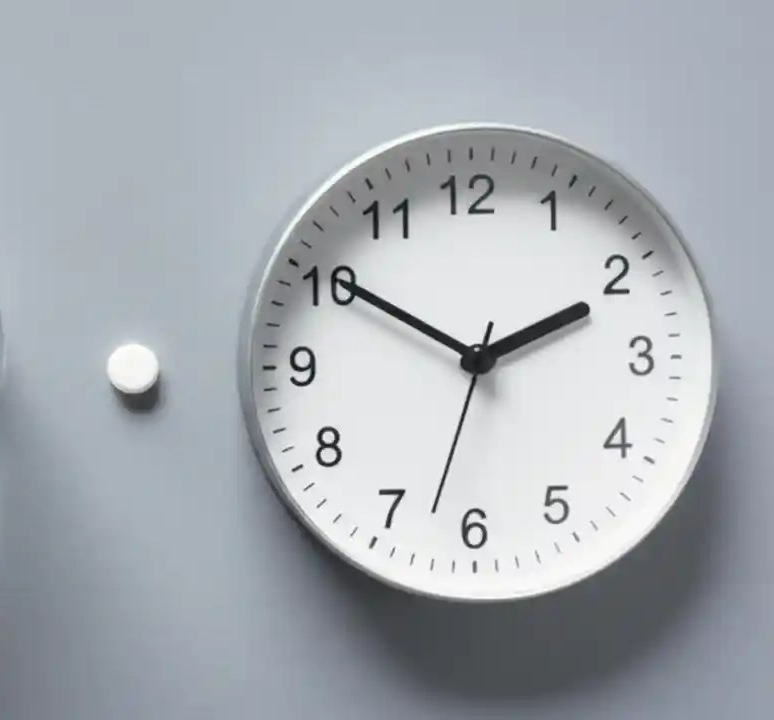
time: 1:50
